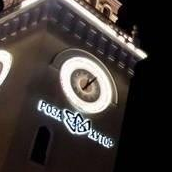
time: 1:08
